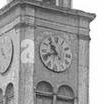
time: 10:41
